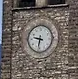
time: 9:32
